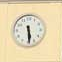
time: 5:28
